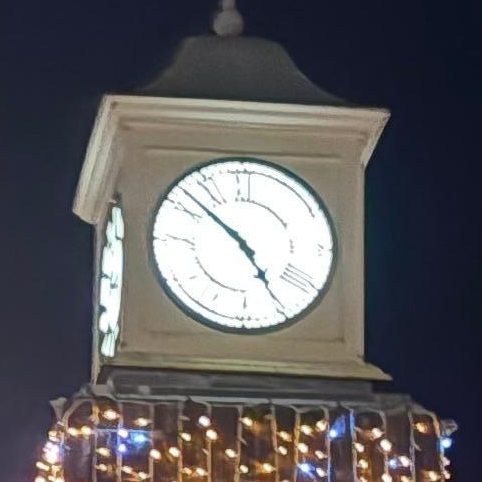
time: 4:52
